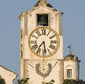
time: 7:28
